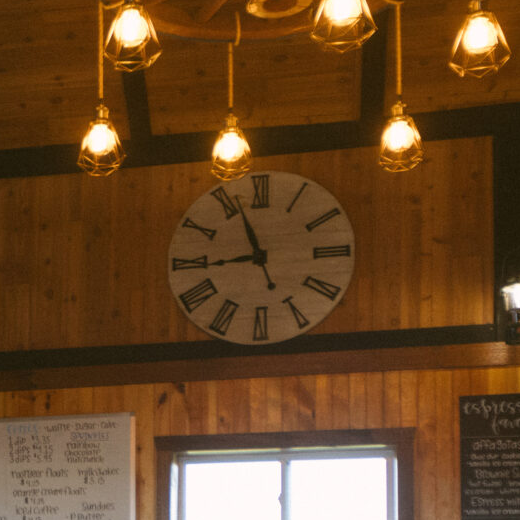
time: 8:56
